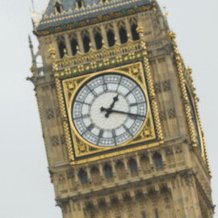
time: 1:18
